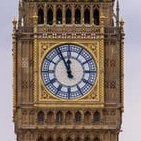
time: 11:55
